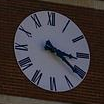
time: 3:21
